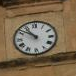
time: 10:51
